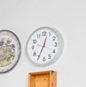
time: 12:35
